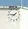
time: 1:46
